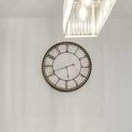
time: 5:41
